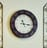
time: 11:16
